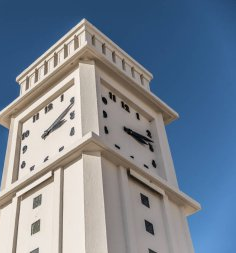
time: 3:13
